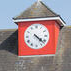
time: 4:22
